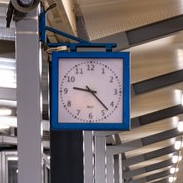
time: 9:22
